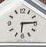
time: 6:14
